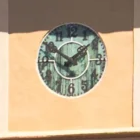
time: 1:50
